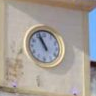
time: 10:56
